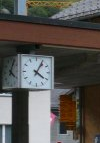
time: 4:04
